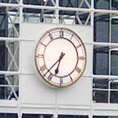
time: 6:37
